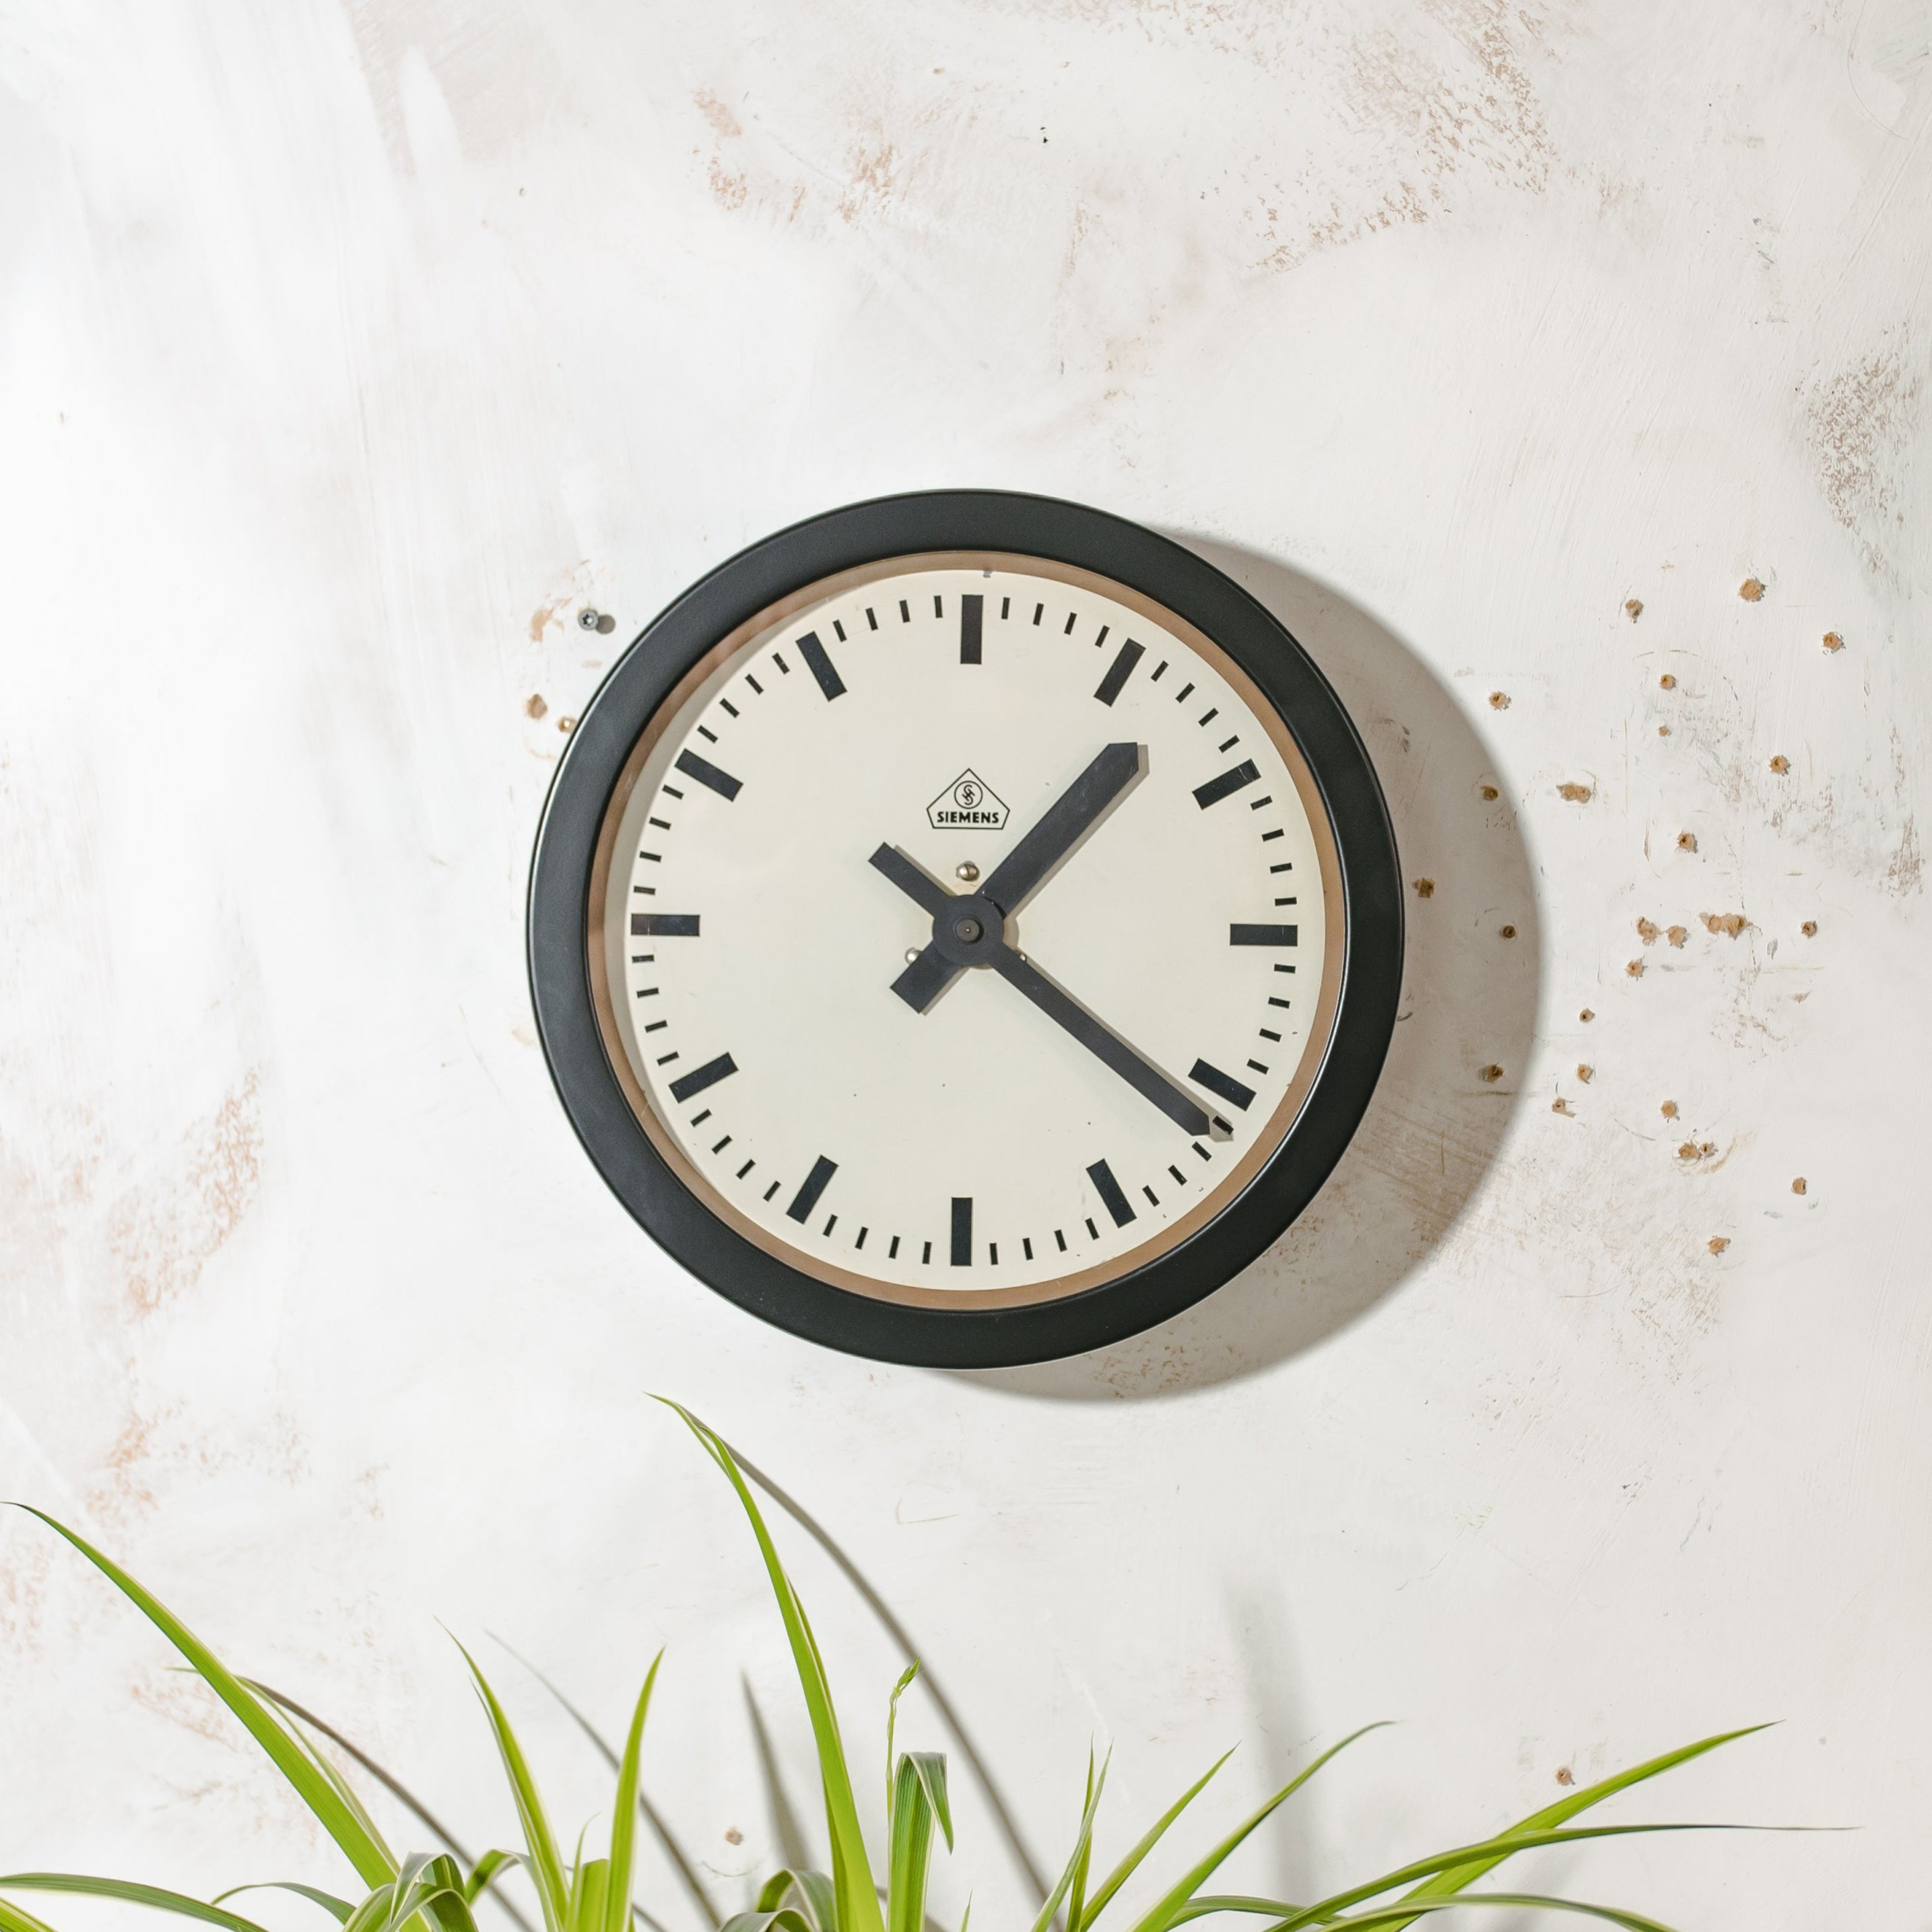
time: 1:21
